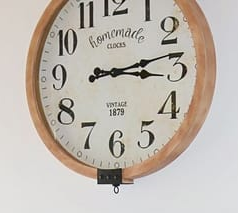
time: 3:12
